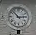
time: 2:52
